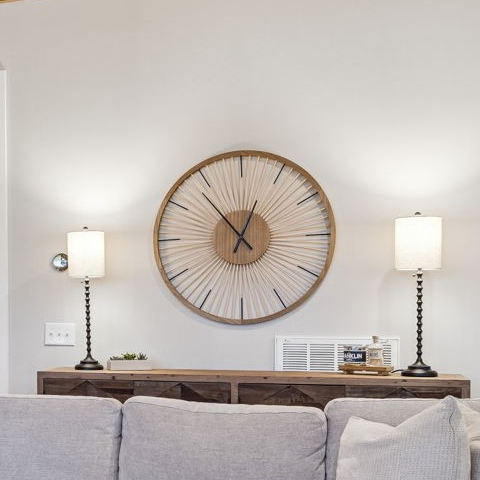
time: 12:53
